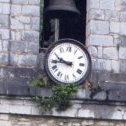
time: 9:44
